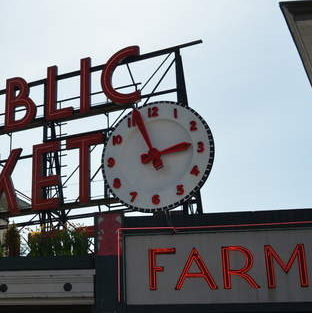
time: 2:56
